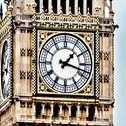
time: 1:18
